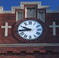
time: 9:43
